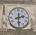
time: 2:30
